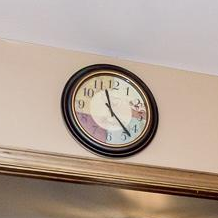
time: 11:23
